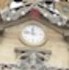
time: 11:46
